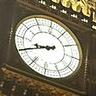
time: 8:40
